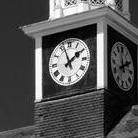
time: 1:56
